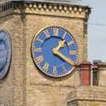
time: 1:20
